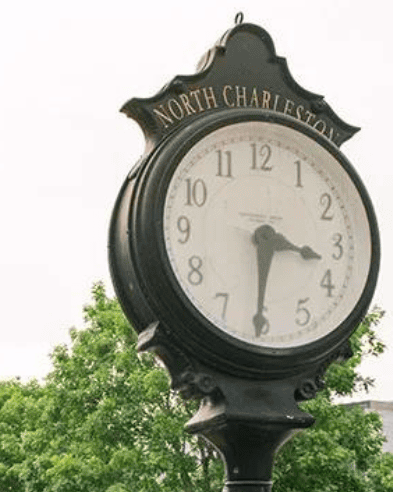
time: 3:30
